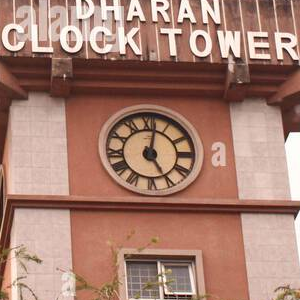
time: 5:01
